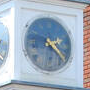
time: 2:21
